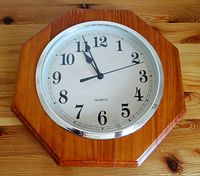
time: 10:56
